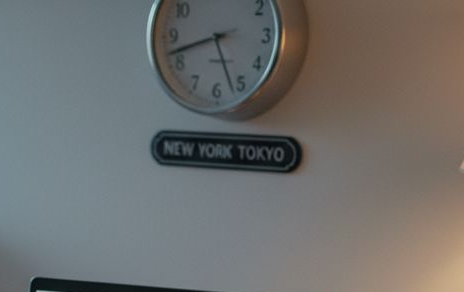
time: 8:26
